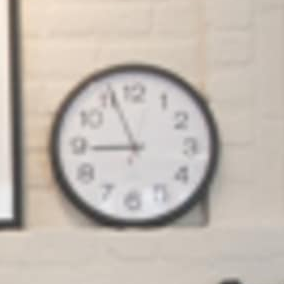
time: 8:56
